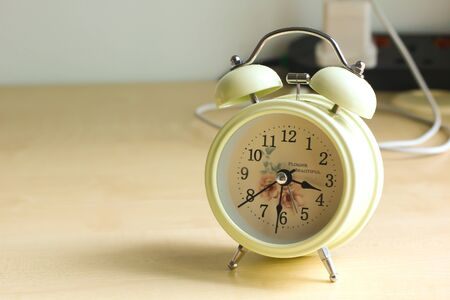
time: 3:39
